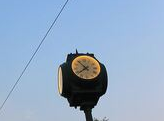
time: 7:52
